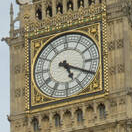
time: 5:19
